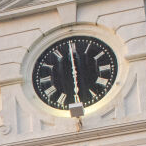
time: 5:59
